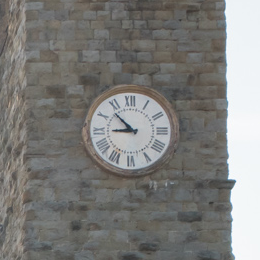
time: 8:53
